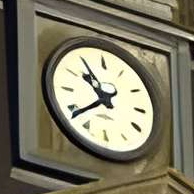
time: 10:38
